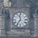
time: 11:35
